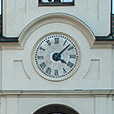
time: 4:07
